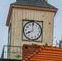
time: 7:59
